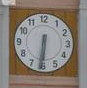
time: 6:31
